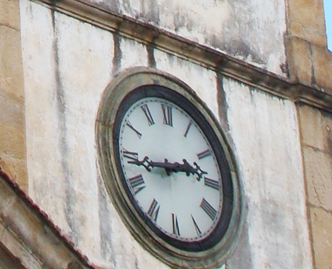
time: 2:43
